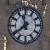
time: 11:38
